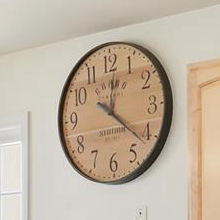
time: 12:21
